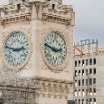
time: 2:48
